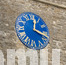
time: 12:17
